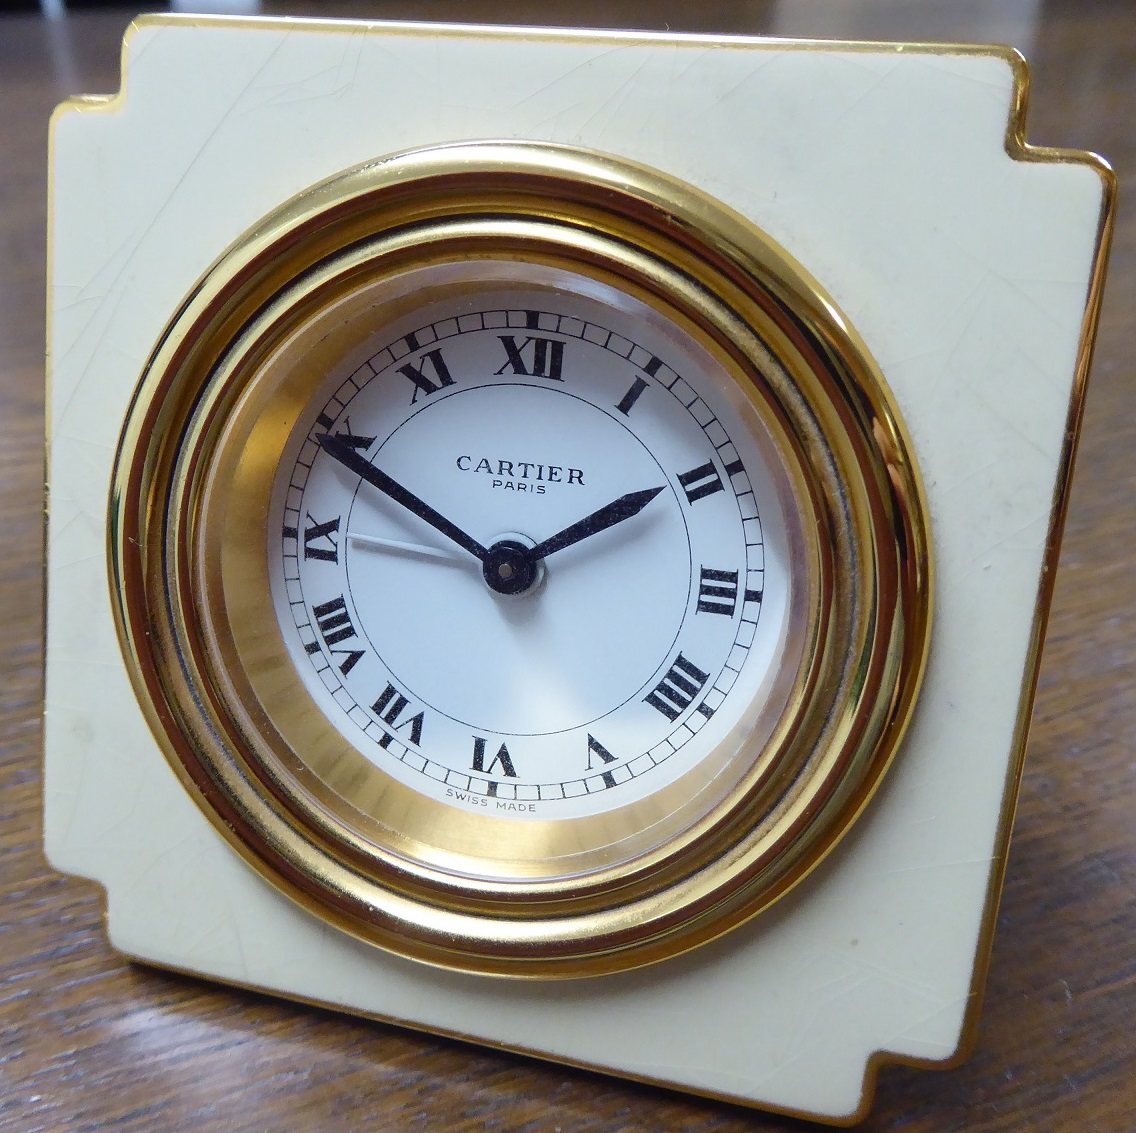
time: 1:49
